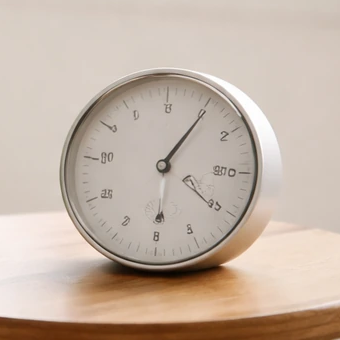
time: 1:05
